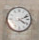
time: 4:11
